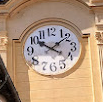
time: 10:08
